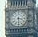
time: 3:29
